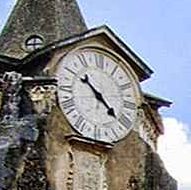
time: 10:21
